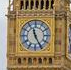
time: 11:25
